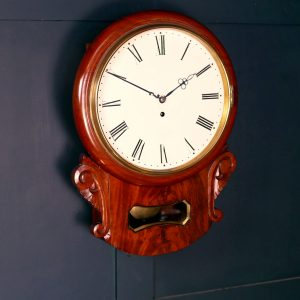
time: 1:49
